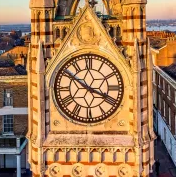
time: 3:50
